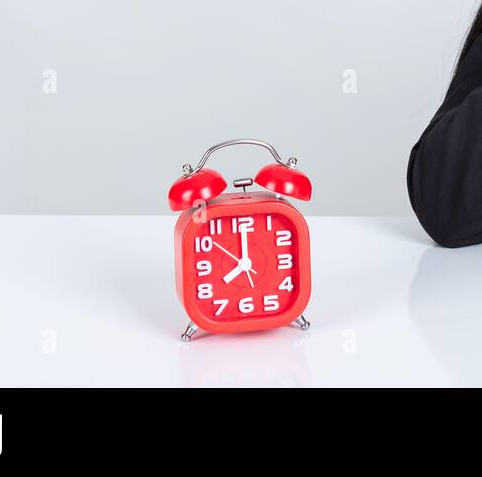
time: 8:00
